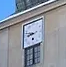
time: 8:47
